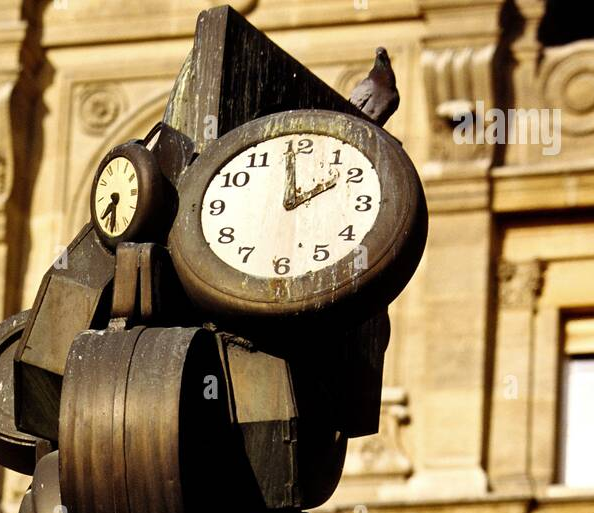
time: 1:59
